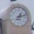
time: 1:11
